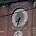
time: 7:32
